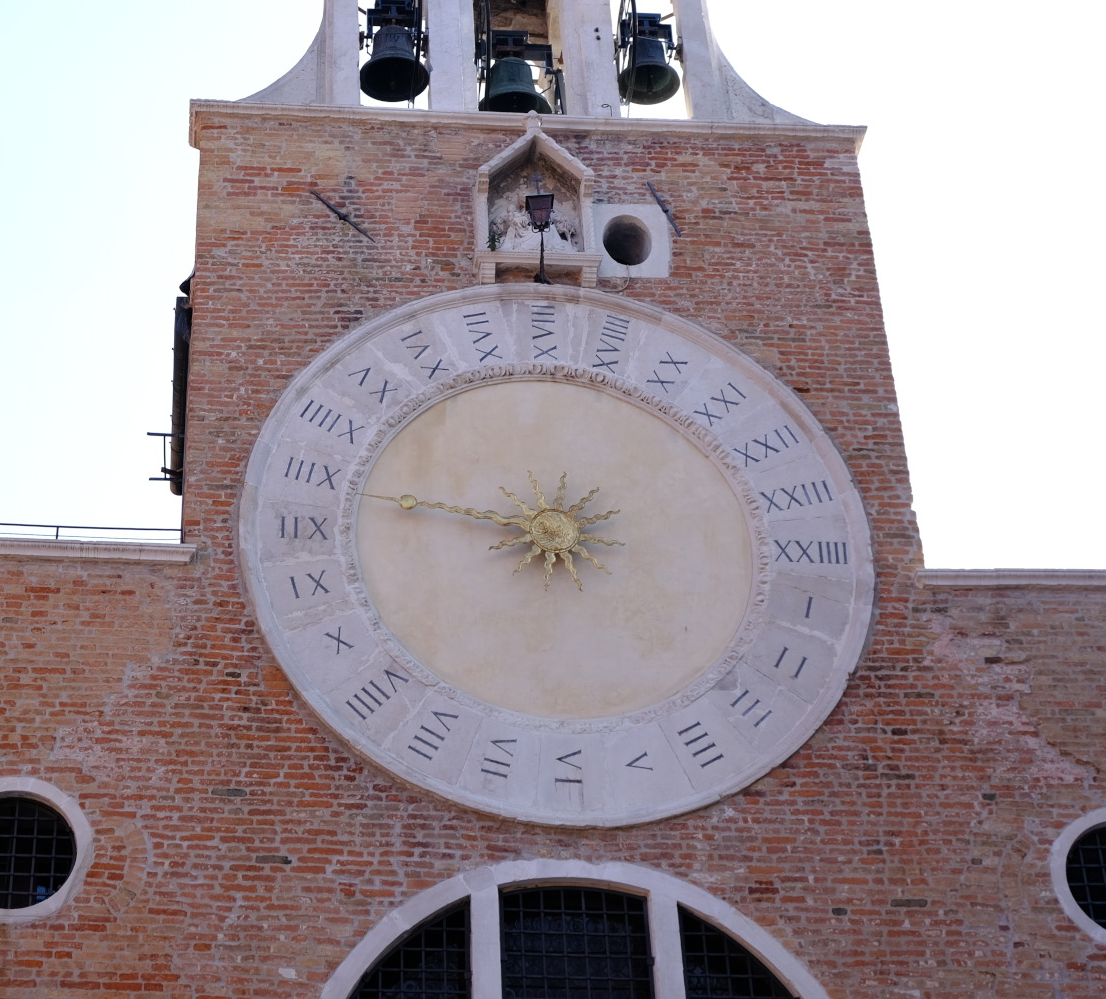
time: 8:45
